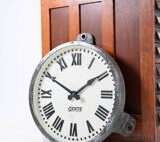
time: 1:50
